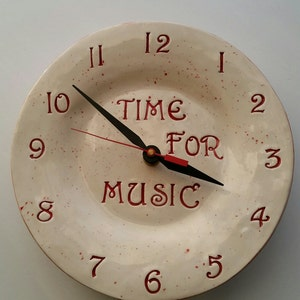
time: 3:51
